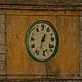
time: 12:32
